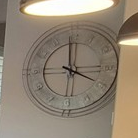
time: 3:59
